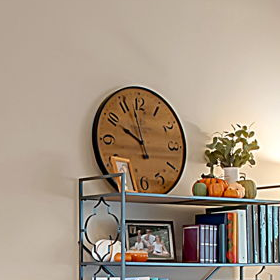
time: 9:57
